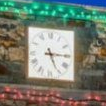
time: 5:14
